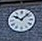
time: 10:07
